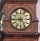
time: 4:44
